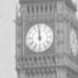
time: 11:59
